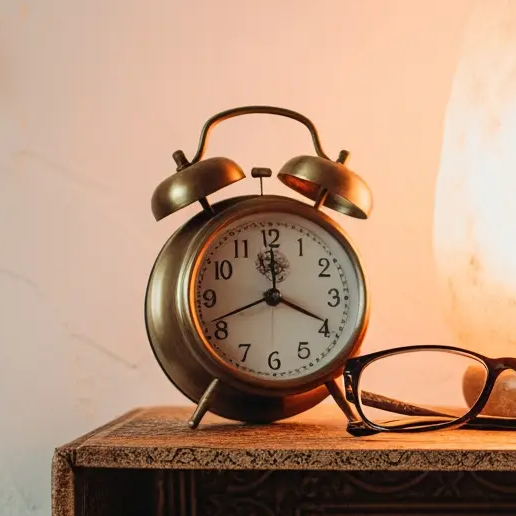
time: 12:19
